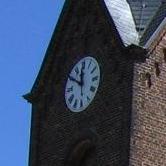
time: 11:50
